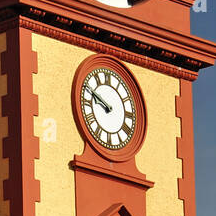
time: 9:48
